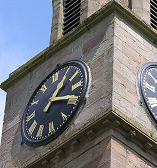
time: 1:18
